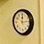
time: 12:13
